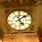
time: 5:08
